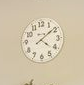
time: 4:08
